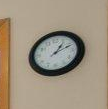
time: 1:10
